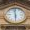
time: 5:59
